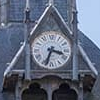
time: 3:33
